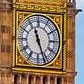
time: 11:26
